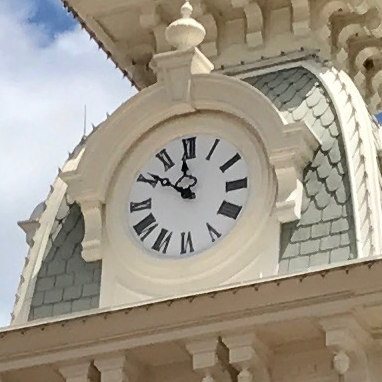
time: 11:50
